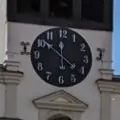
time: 10:21
